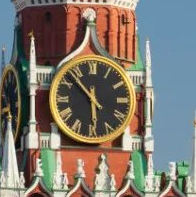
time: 5:52
